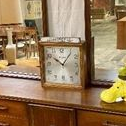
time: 10:06
